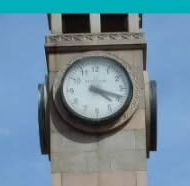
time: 4:18
